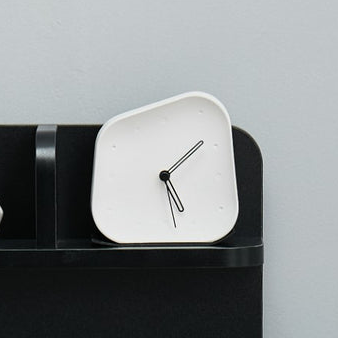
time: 5:08
